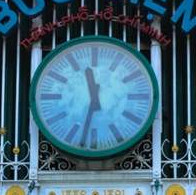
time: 11:32
